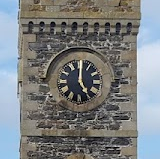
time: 5:00
